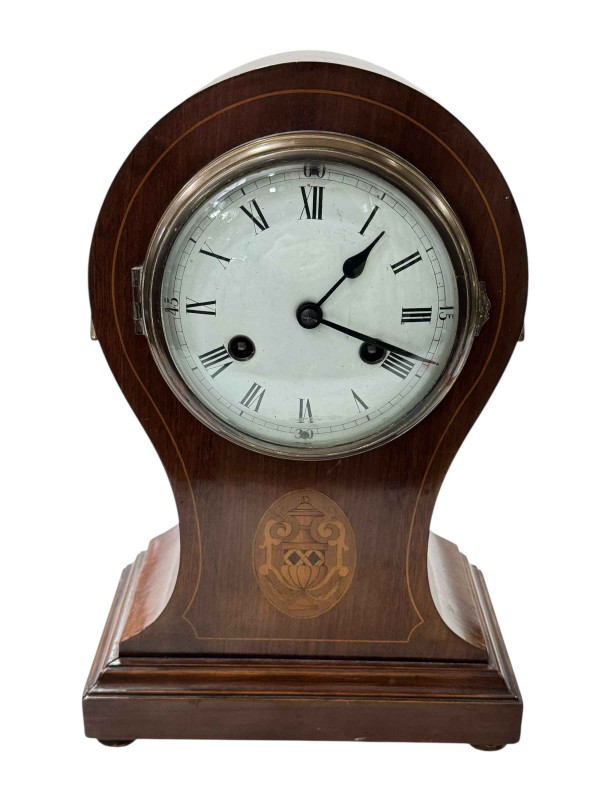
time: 1:18
